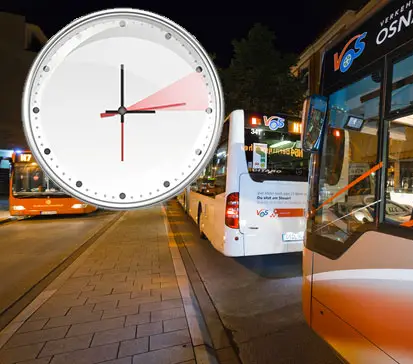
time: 2:59
